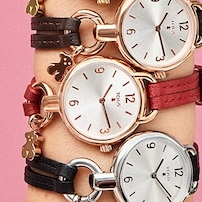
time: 1:27
